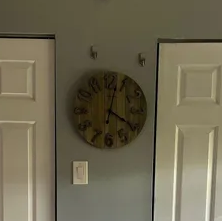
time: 4:02
